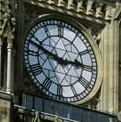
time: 2:48
